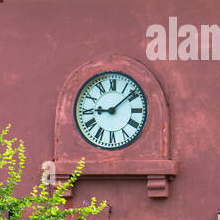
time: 9:08
